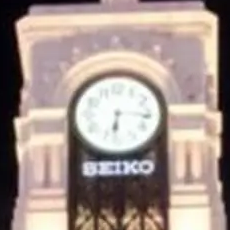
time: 6:15
